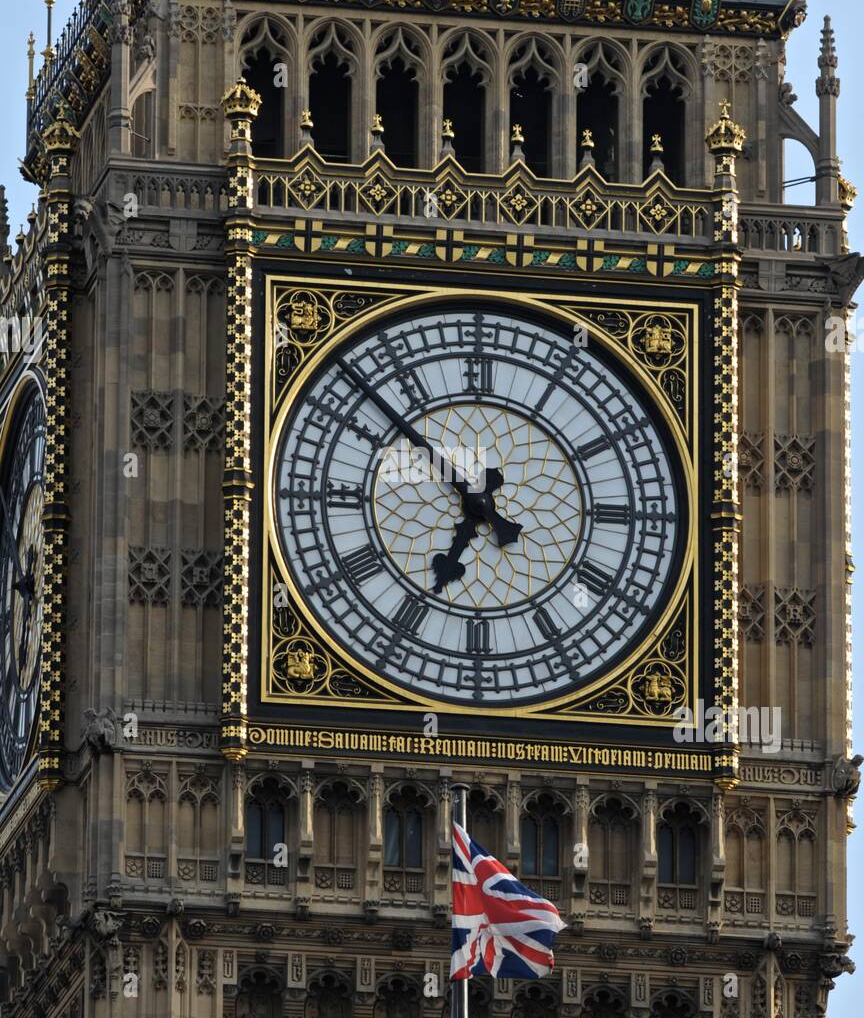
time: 6:52
